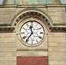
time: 11:36
